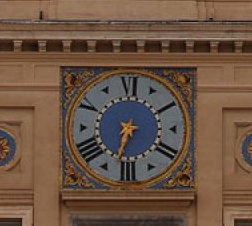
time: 6:32
